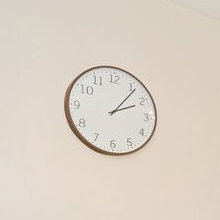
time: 2:06
